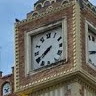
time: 7:40
